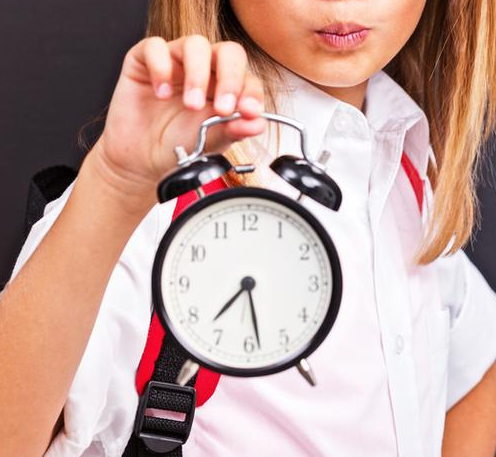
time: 7:28
